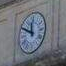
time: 11:49
